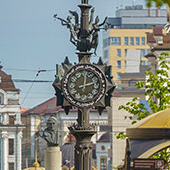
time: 2:01
